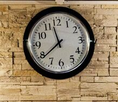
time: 11:38
